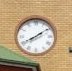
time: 8:09
